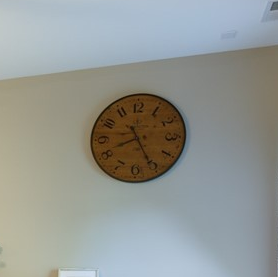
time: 8:25
